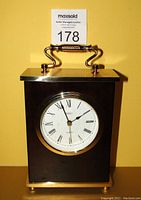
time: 1:56
